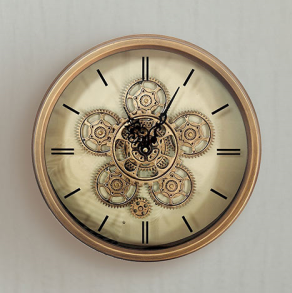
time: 11:04
